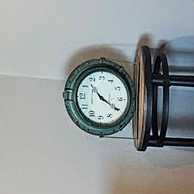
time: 3:52
